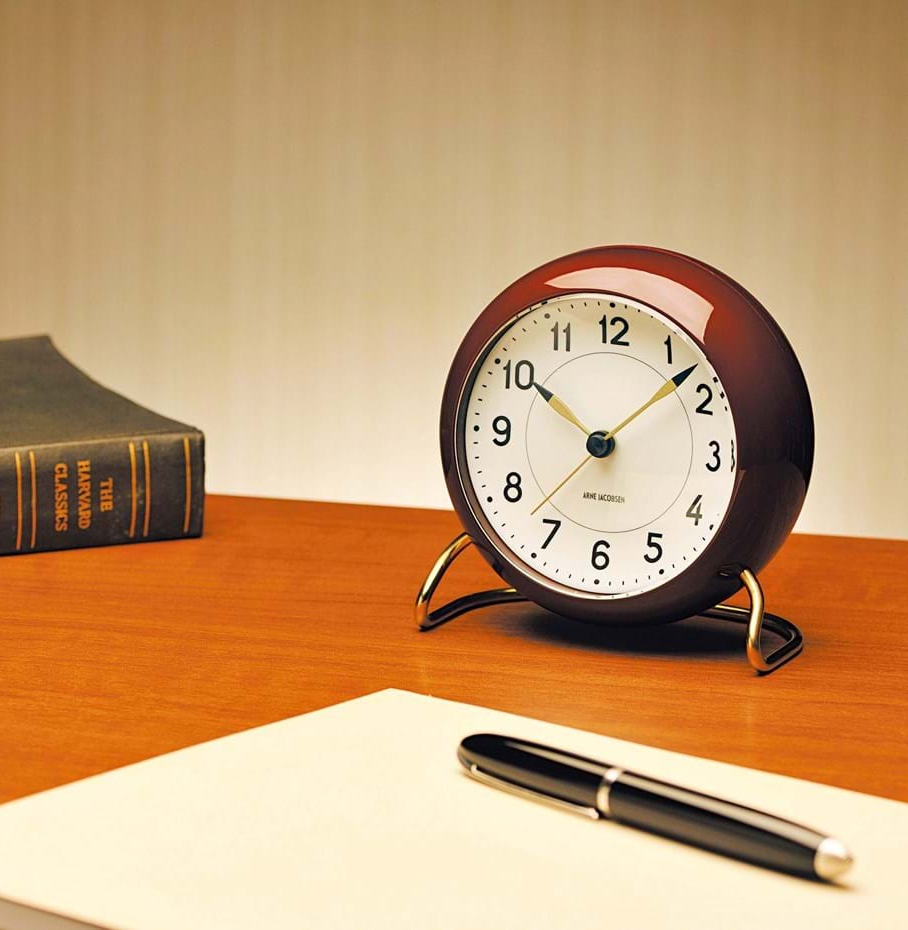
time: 10:07
